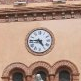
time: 4:45
